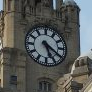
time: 5:20
